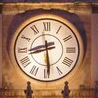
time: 8:29
